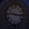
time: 9:15
